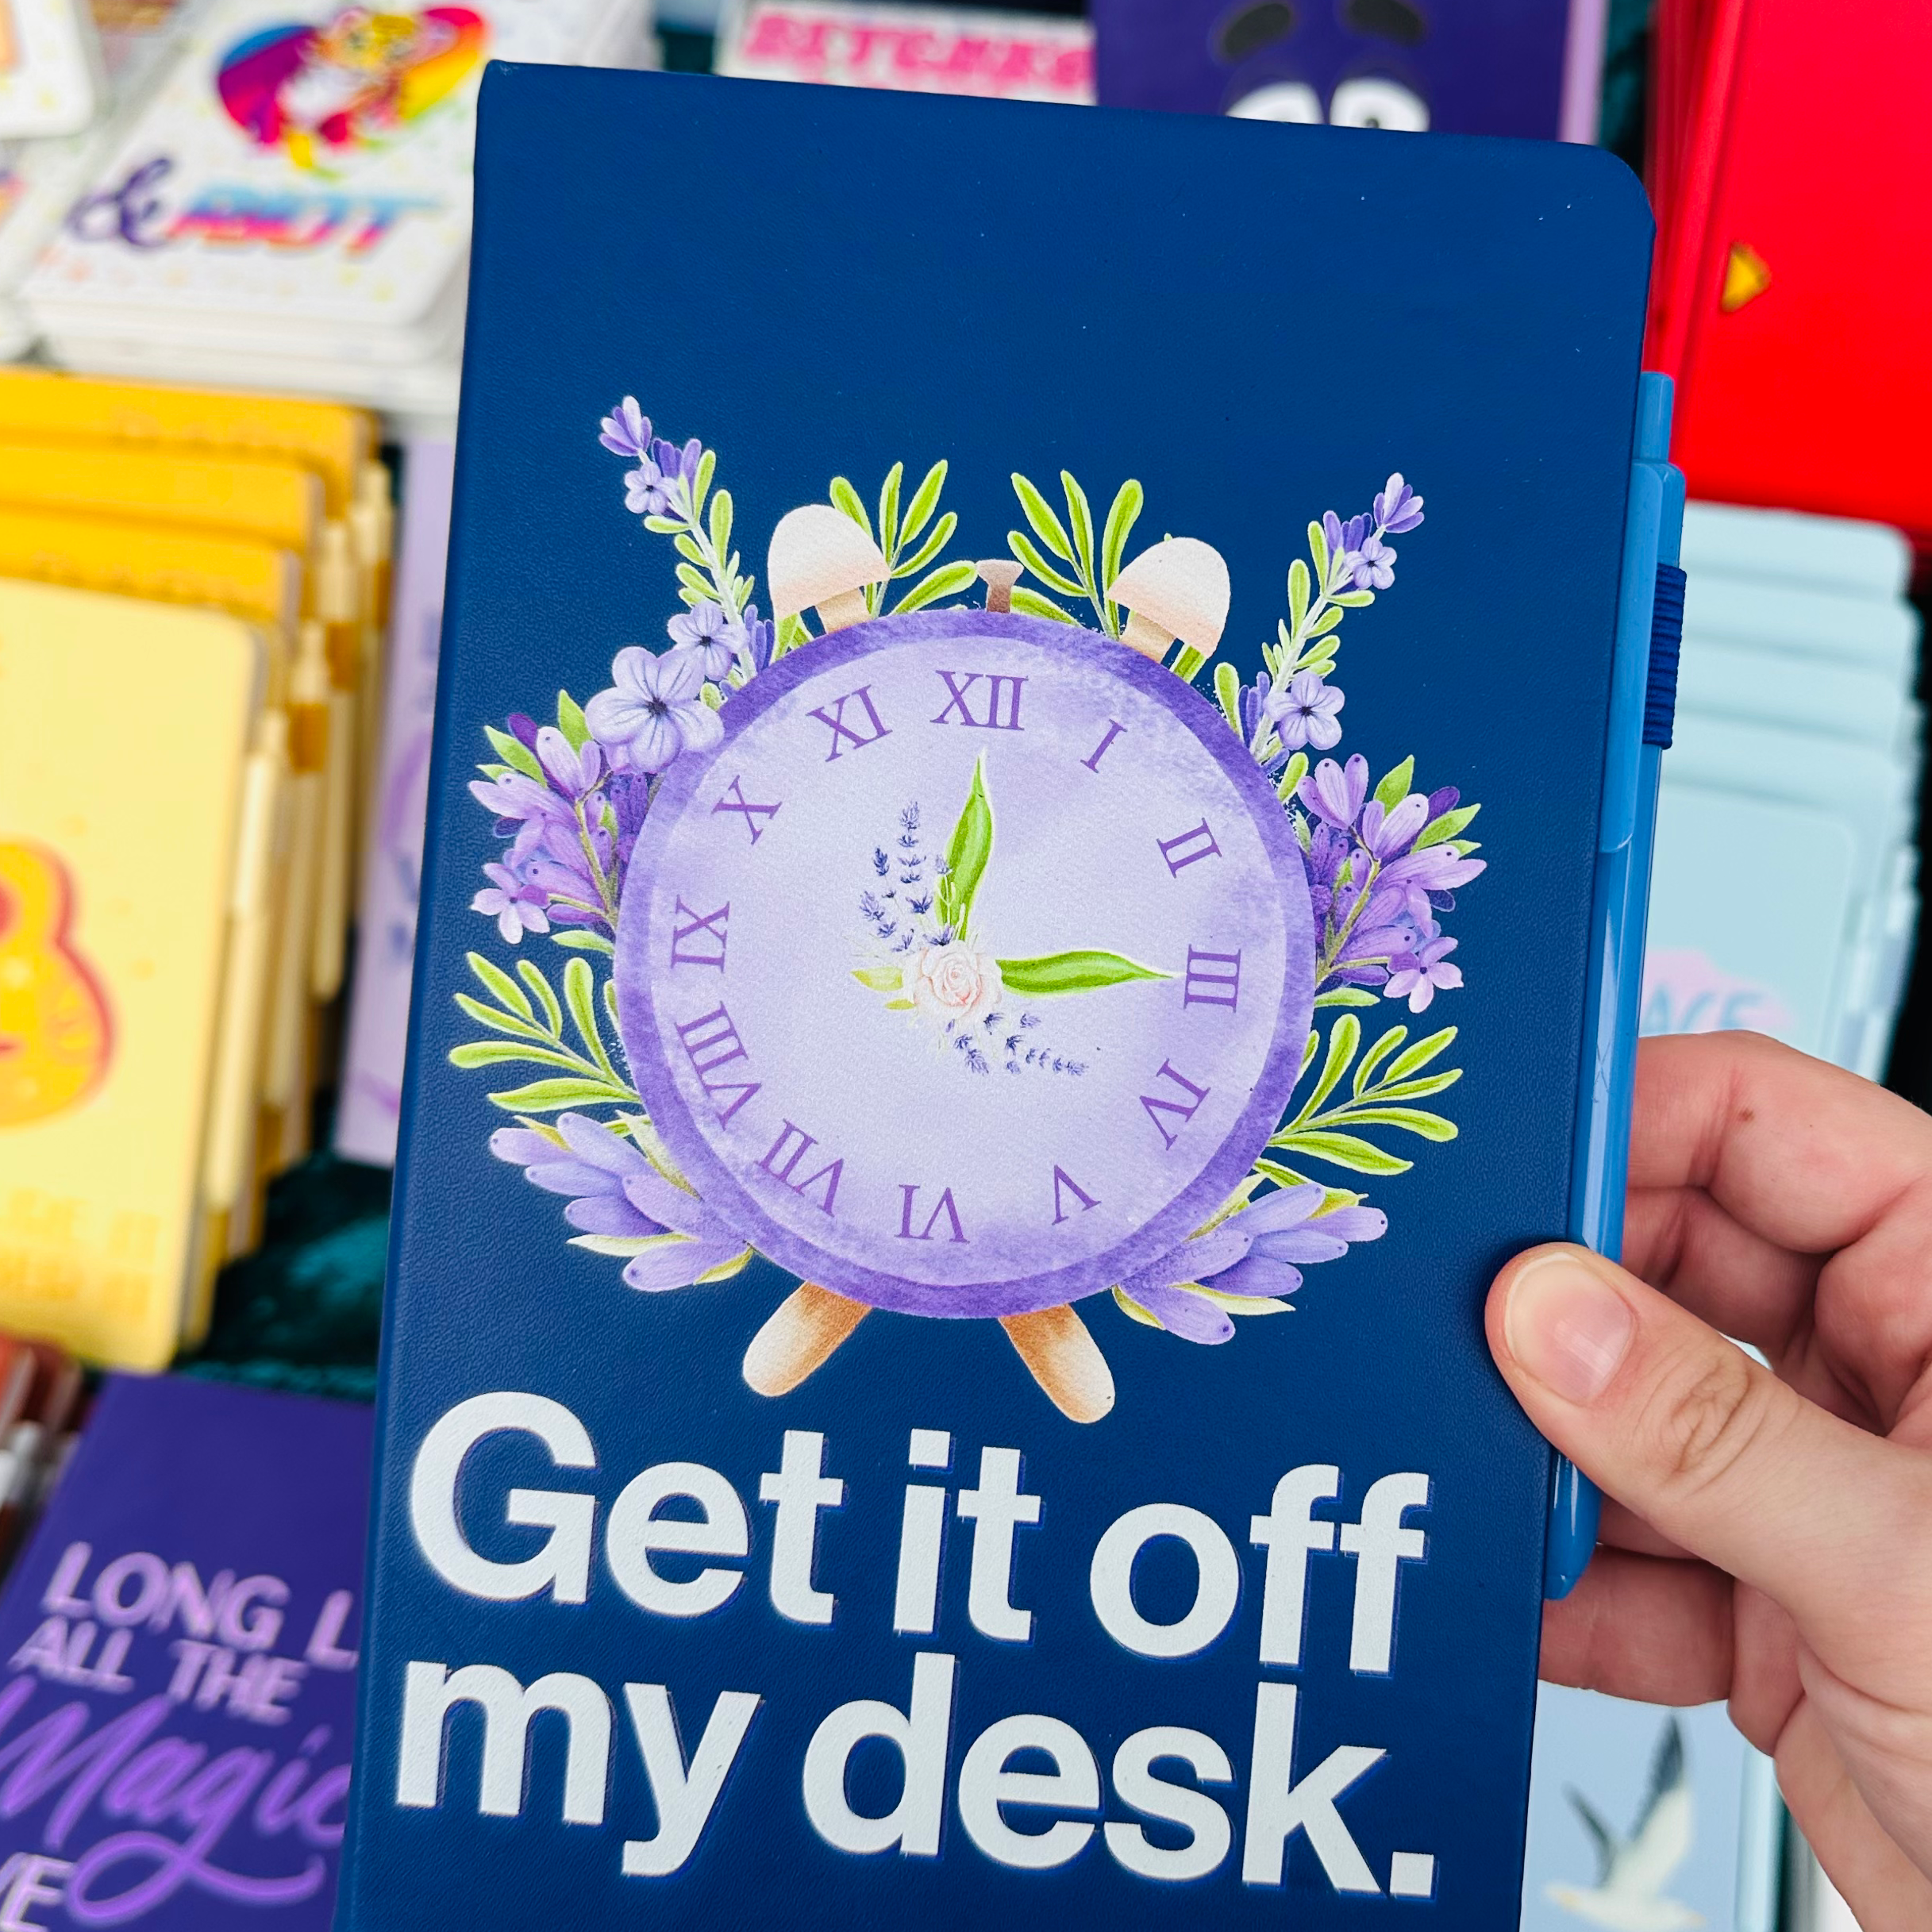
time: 12:14
